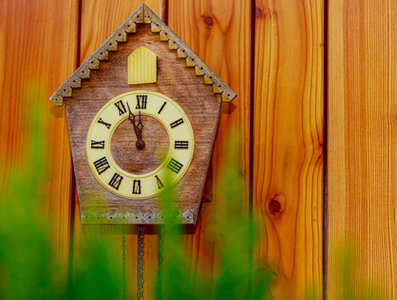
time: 11:56
